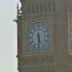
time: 5:30
